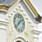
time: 1:37
